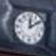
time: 12:09
